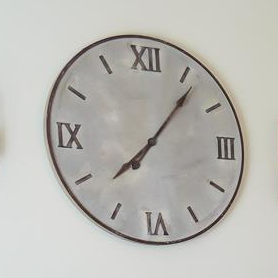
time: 8:06
